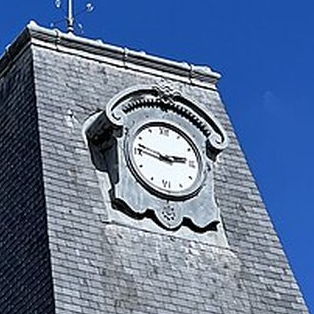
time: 2:46
